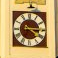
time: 4:14
